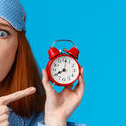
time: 8:01
